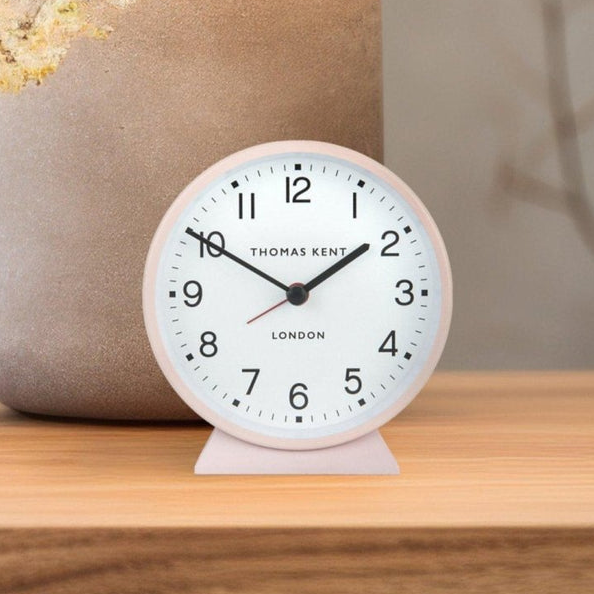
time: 1:50
